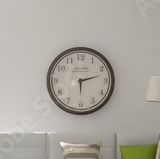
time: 2:29
